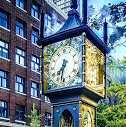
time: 7:32
